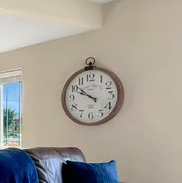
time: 9:51
